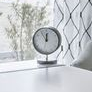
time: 11:54
